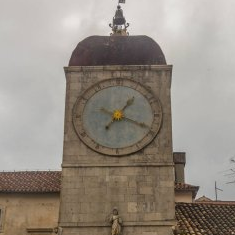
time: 1:18
